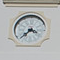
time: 3:37
